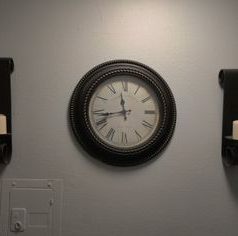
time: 11:42
